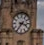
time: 3:35
